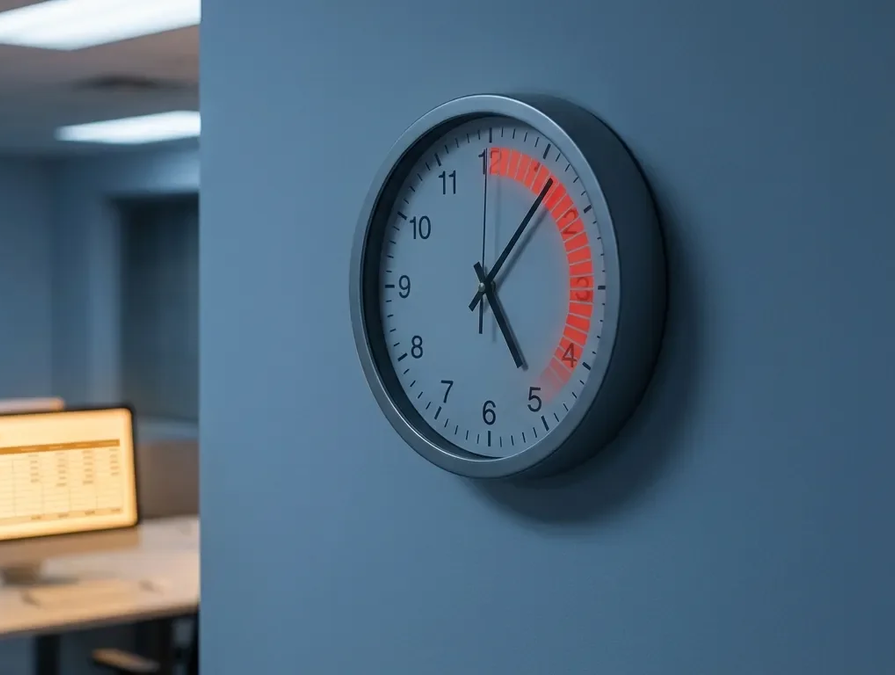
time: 5:06
